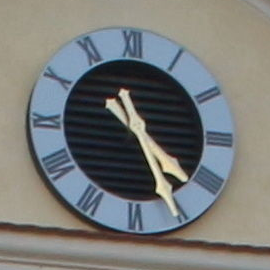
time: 4:25
